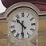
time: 10:30
